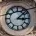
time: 3:07
